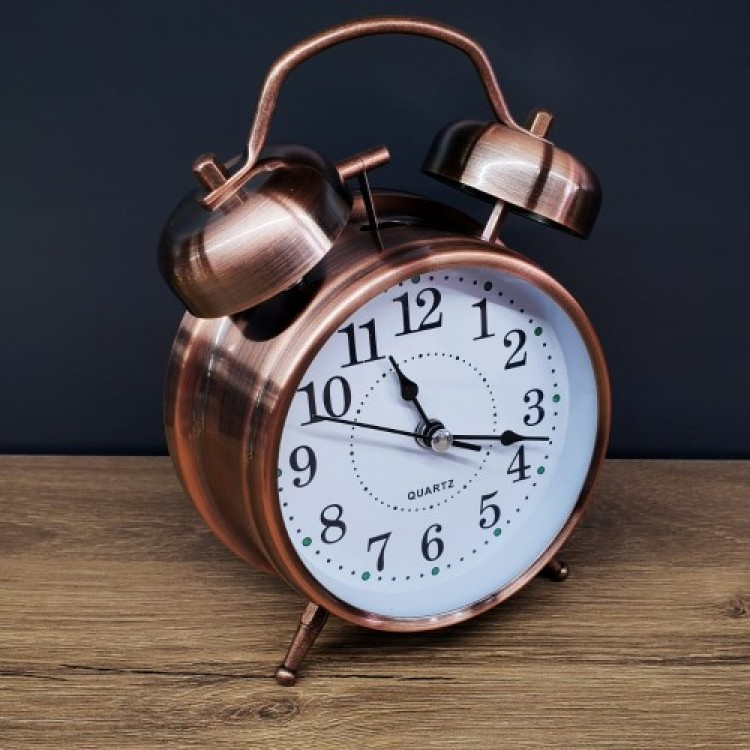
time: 11:17
